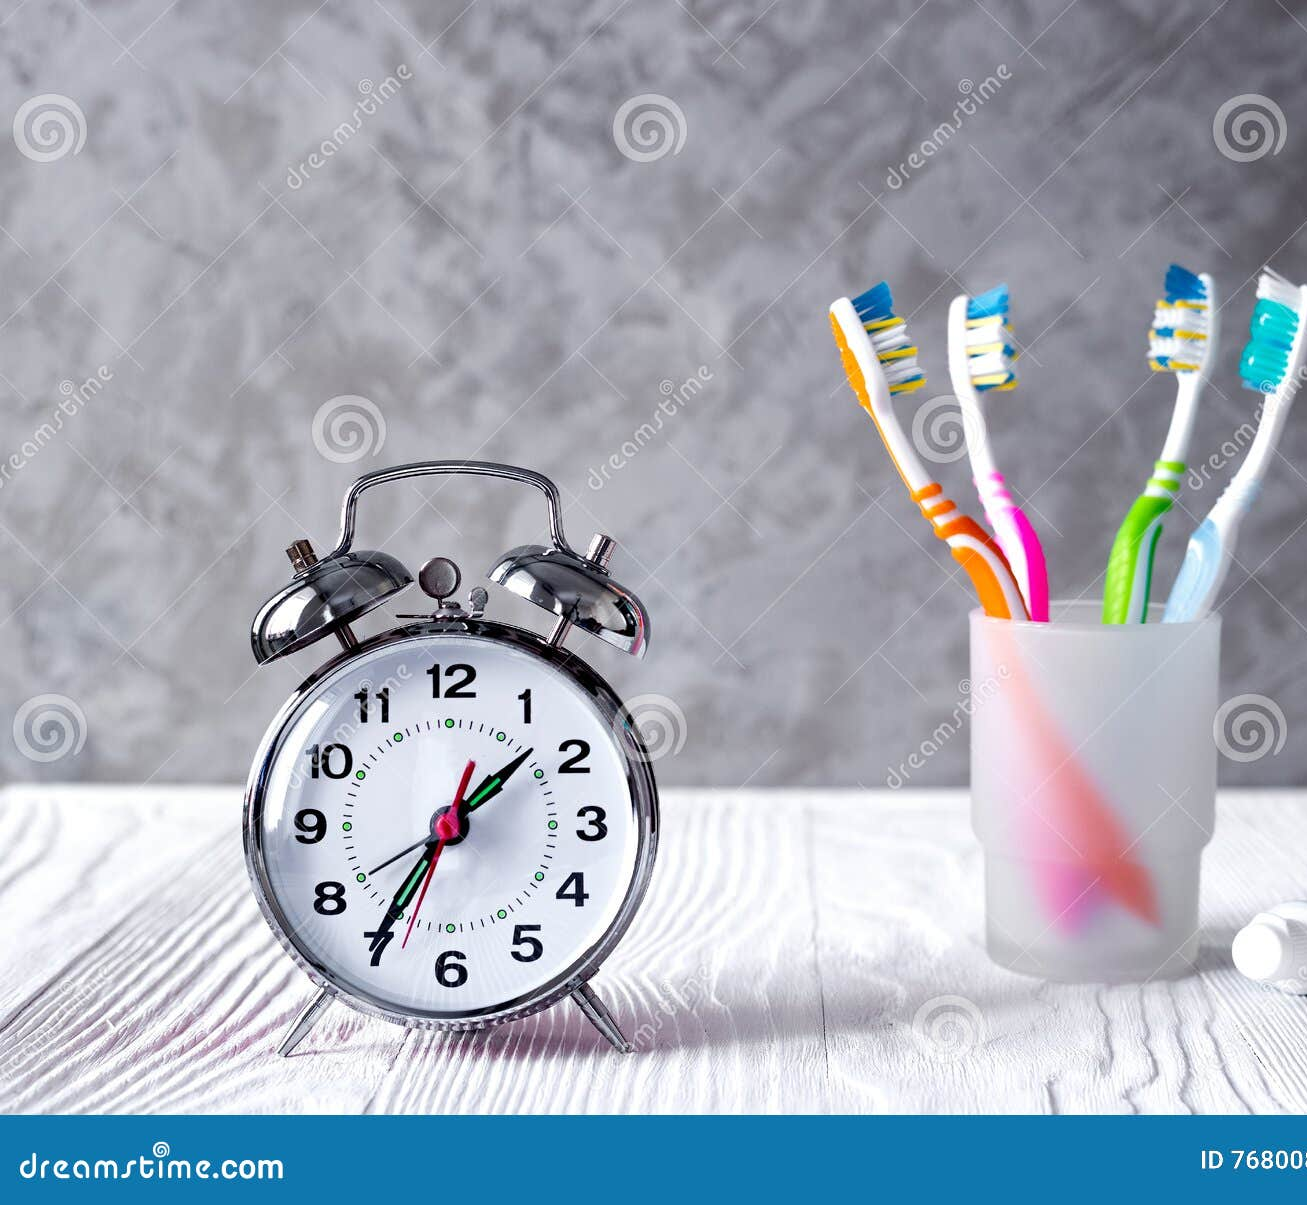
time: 1:35
